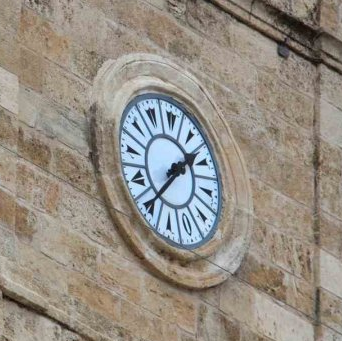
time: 1:36
